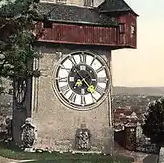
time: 7:23
